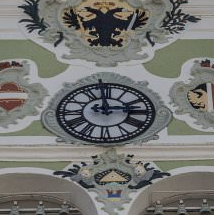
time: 2:58
